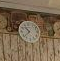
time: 10:38
